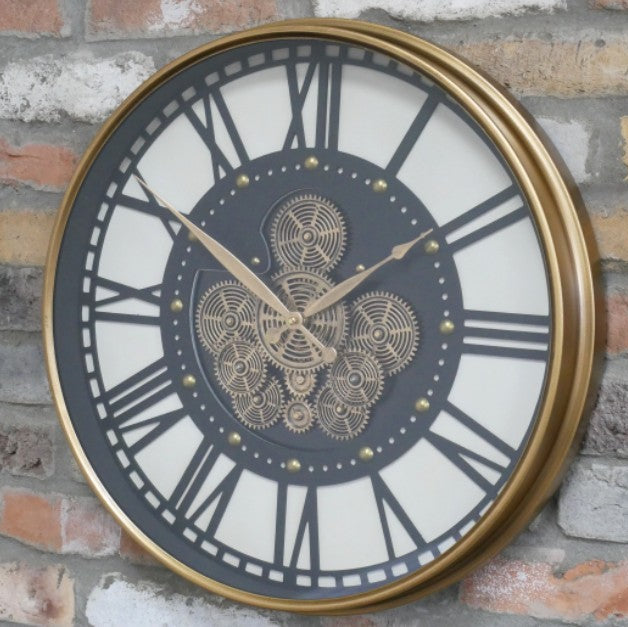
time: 1:50
